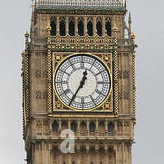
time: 12:35
